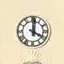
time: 4:00
